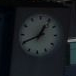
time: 12:40
